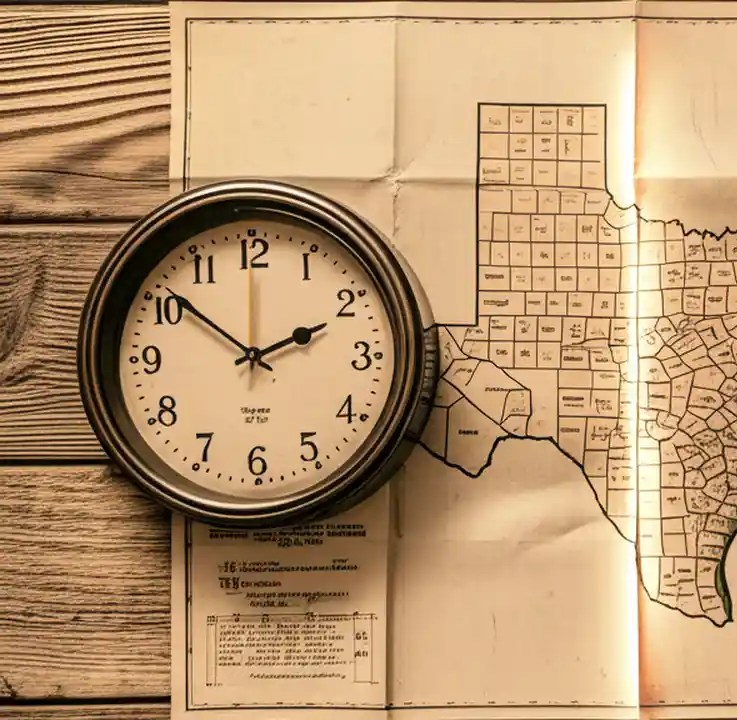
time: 1:51
